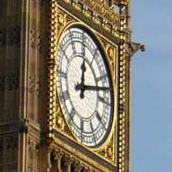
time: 12:12
